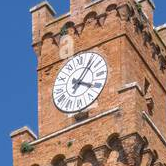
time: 4:07
